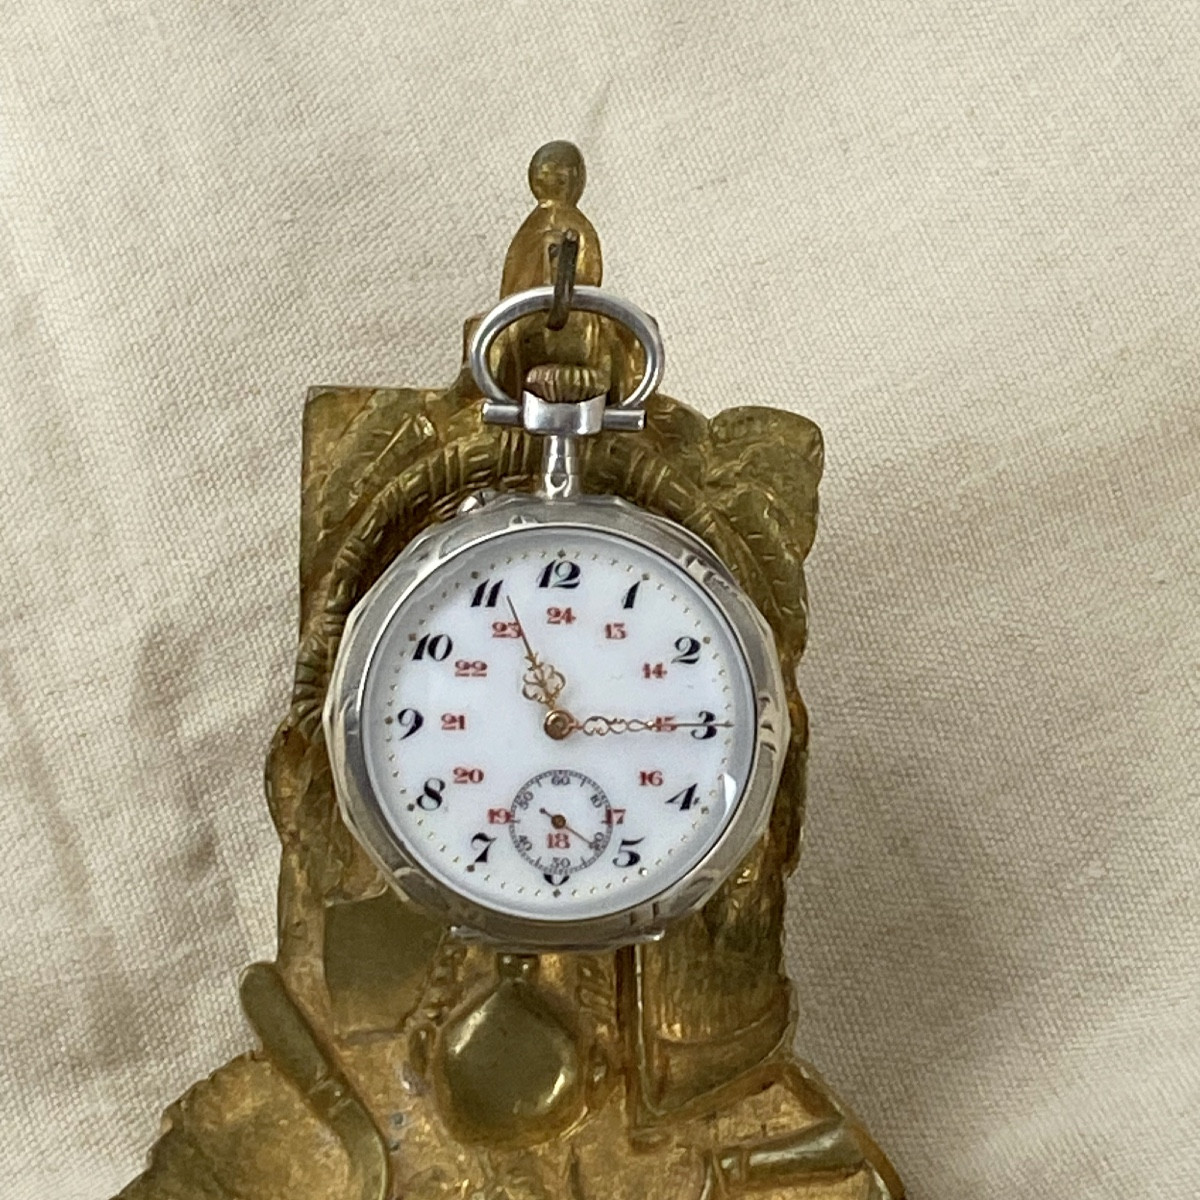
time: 11:14
